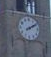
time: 2:09
